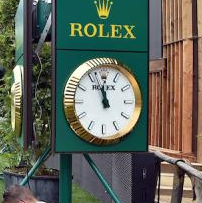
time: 11:56
